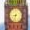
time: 8:32
